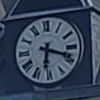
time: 6:18
